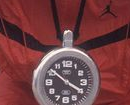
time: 3:51
